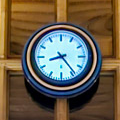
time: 8:23
